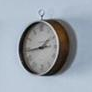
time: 1:43
